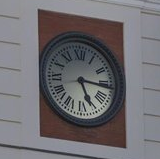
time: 5:15
